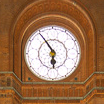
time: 5:54
